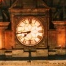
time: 7:43
